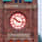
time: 10:16
